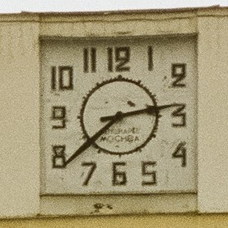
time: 2:38
